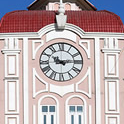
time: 10:14
